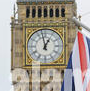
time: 12:58
